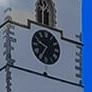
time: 9:35
